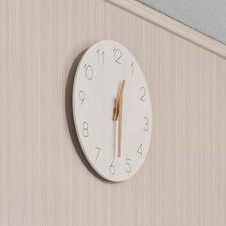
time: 12:28
